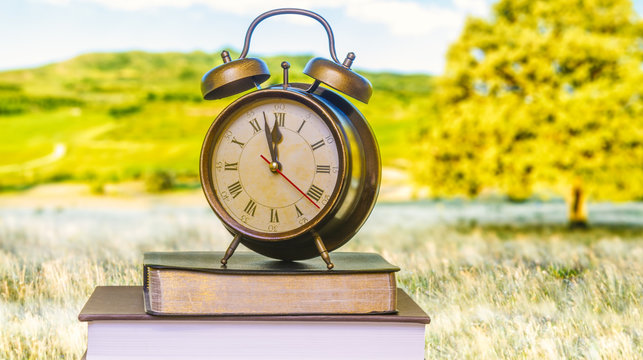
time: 11:57
